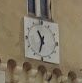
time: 10:32
